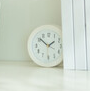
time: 1:51
